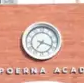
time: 7:18
